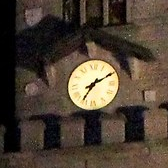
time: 7:10
